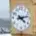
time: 4:12
